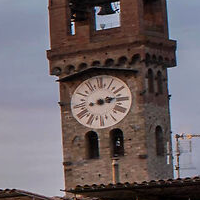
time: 2:13
